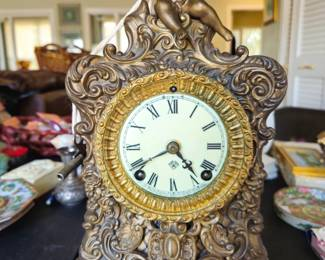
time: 4:40
